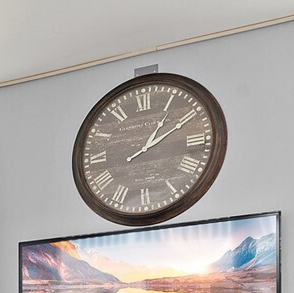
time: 1:10
